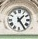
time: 1:24
